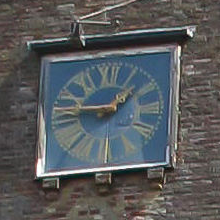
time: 1:46
